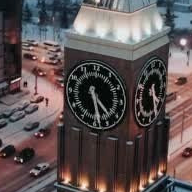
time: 4:28
